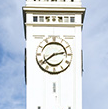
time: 2:39
